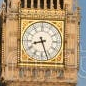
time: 8:27
